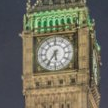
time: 5:35
